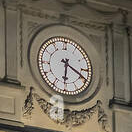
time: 6:19
